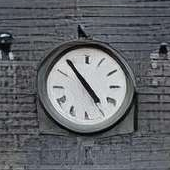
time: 4:54
